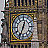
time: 12:33
